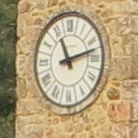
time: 11:12
